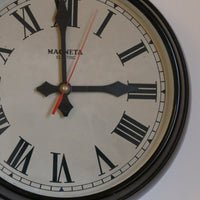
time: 2:59
